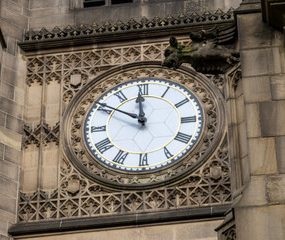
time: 11:50
